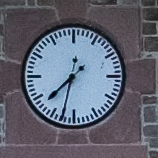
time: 7:32
